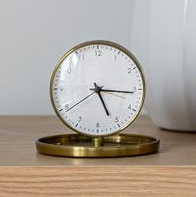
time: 5:15
